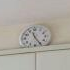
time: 11:25
